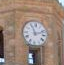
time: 11:11
